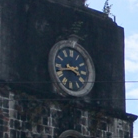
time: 3:42
